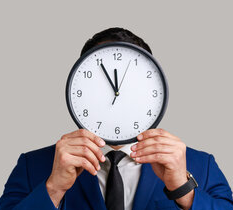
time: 11:54
